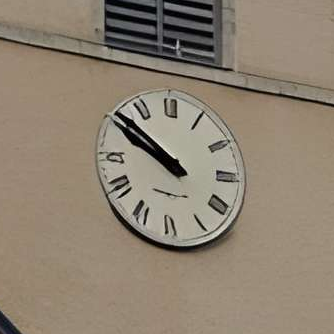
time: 9:51
